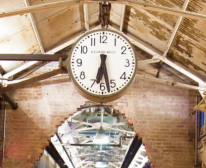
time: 6:27
